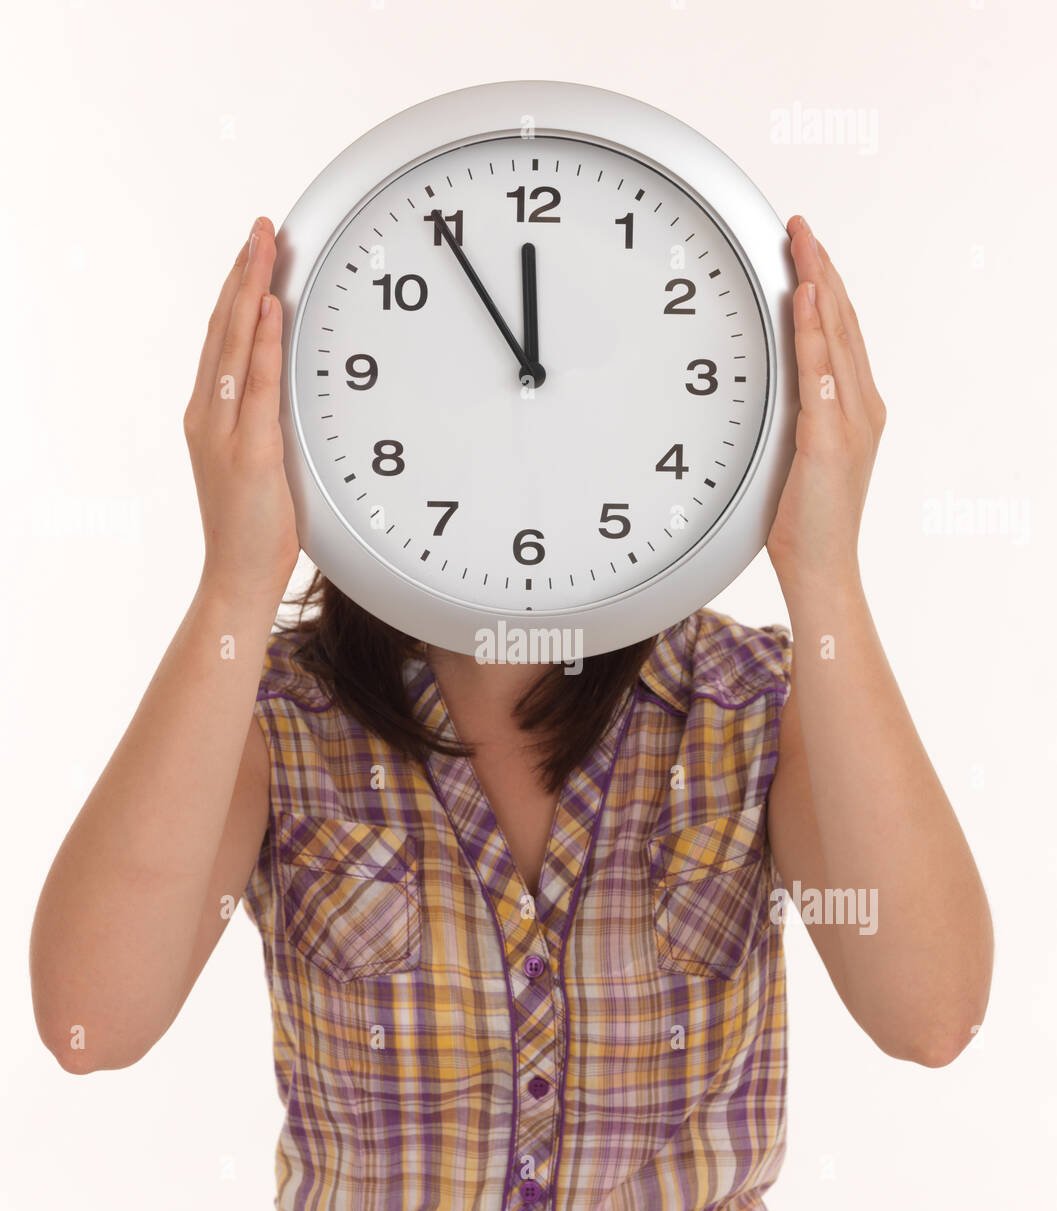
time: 11:54
